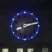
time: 8:12
